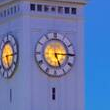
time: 5:14
